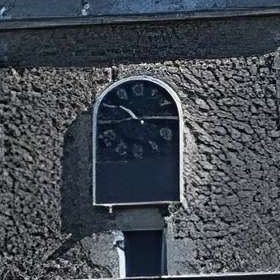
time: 10:14
